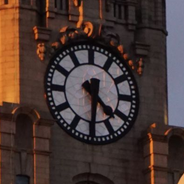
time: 4:30
